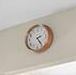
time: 2:24
